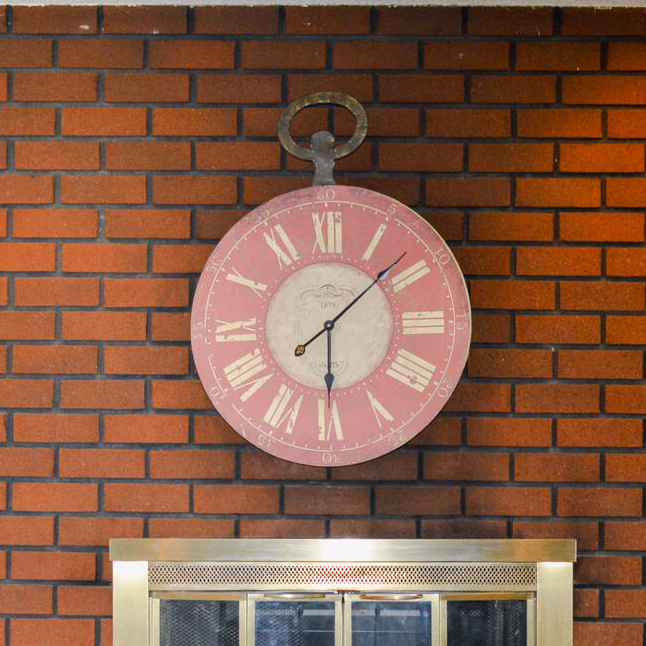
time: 6:08
